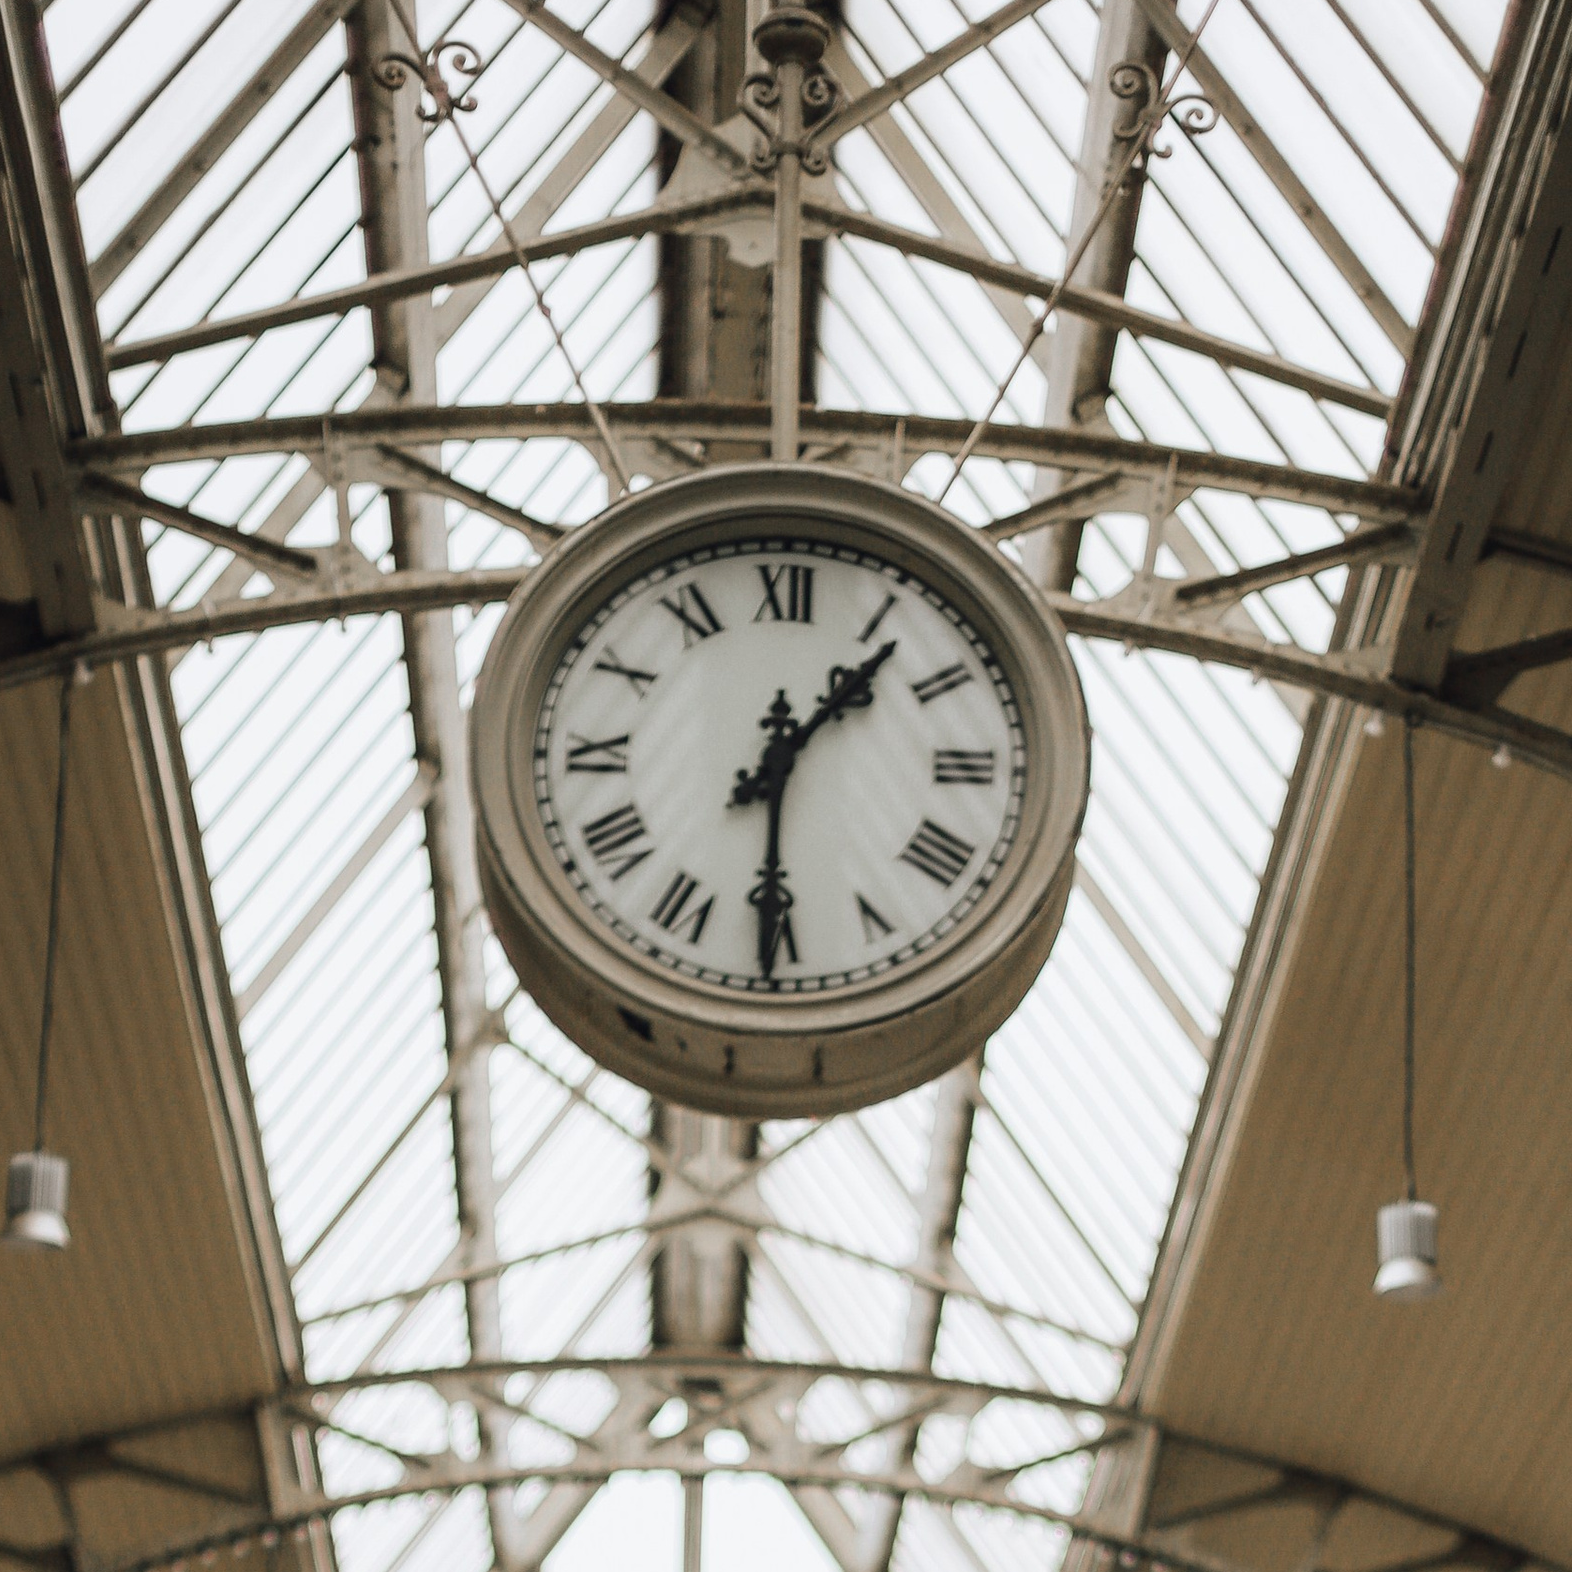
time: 1:30
